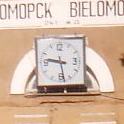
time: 9:28
